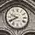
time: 9:40
